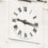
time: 9:16
